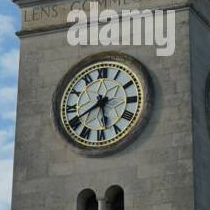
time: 5:40
